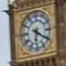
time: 6:20
